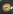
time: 7:43
